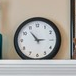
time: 2:53
